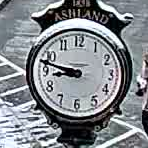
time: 8:47
